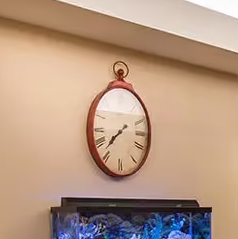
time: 7:36
